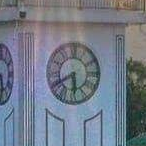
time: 5:40
